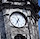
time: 6:34
